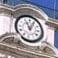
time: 11:04
